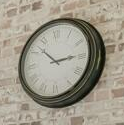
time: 2:52
